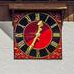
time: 12:34
